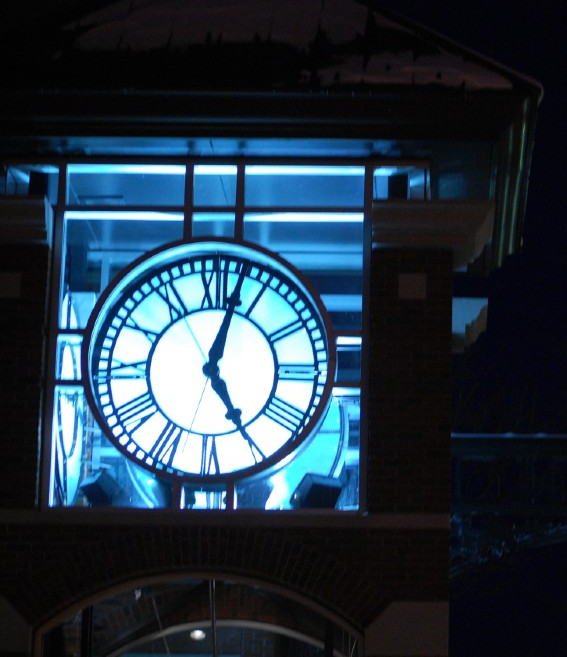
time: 5:02
